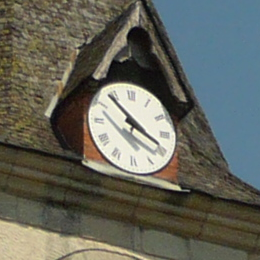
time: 3:53
